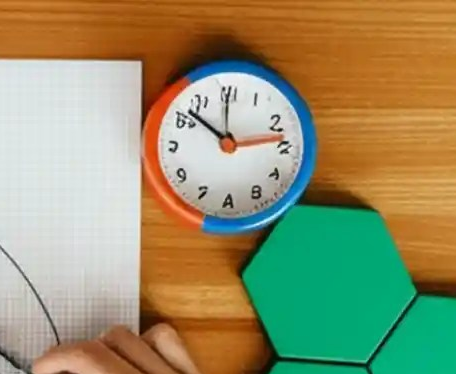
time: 10:13
